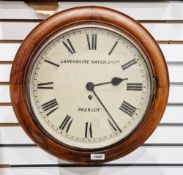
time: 2:23
